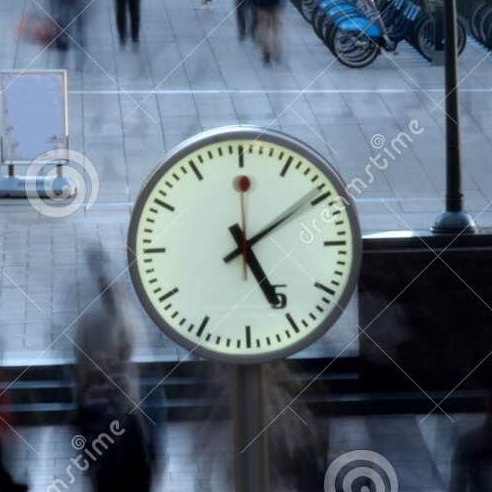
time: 5:09
